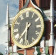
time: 7:30
